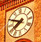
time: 7:48
